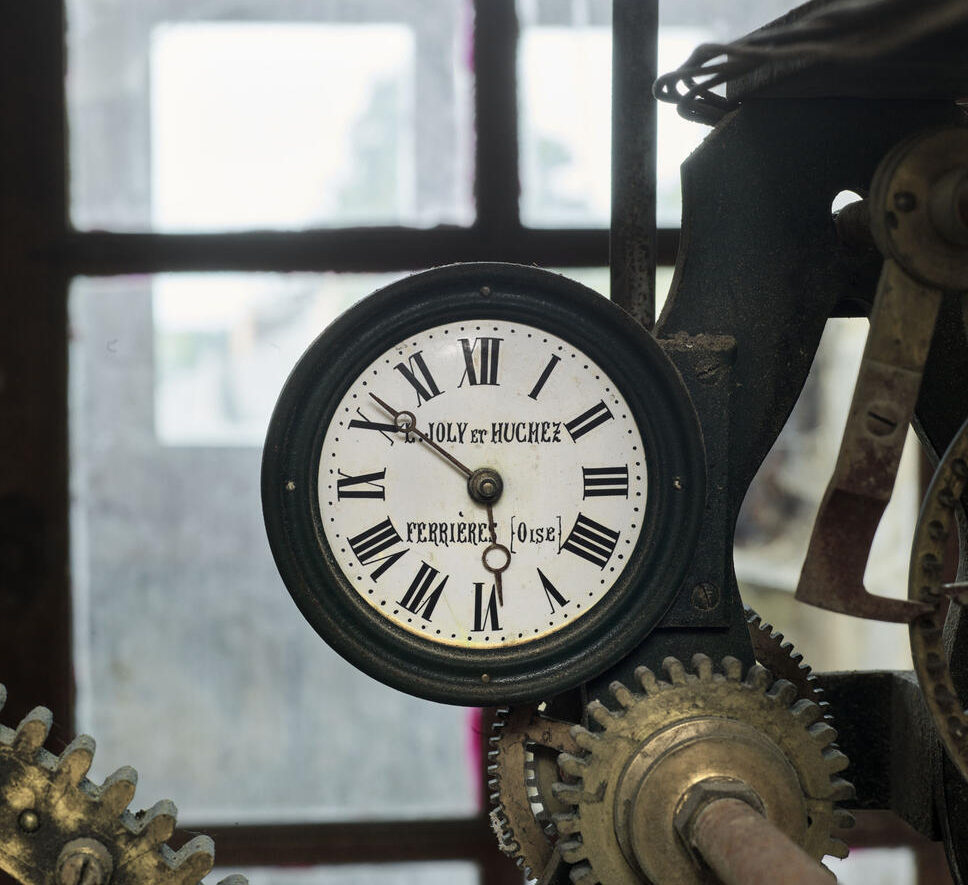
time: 5:51
